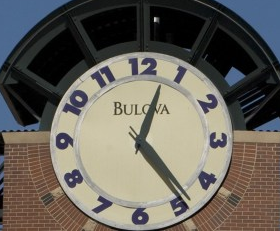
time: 12:23
